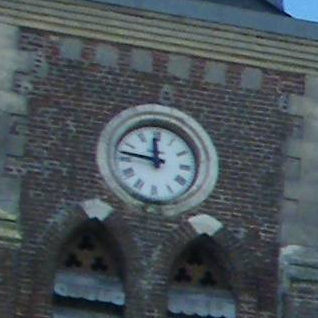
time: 11:46
